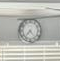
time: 7:23
